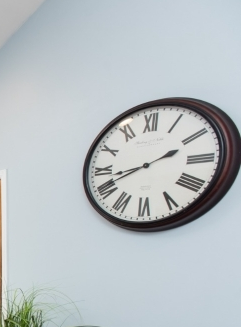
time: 8:41
